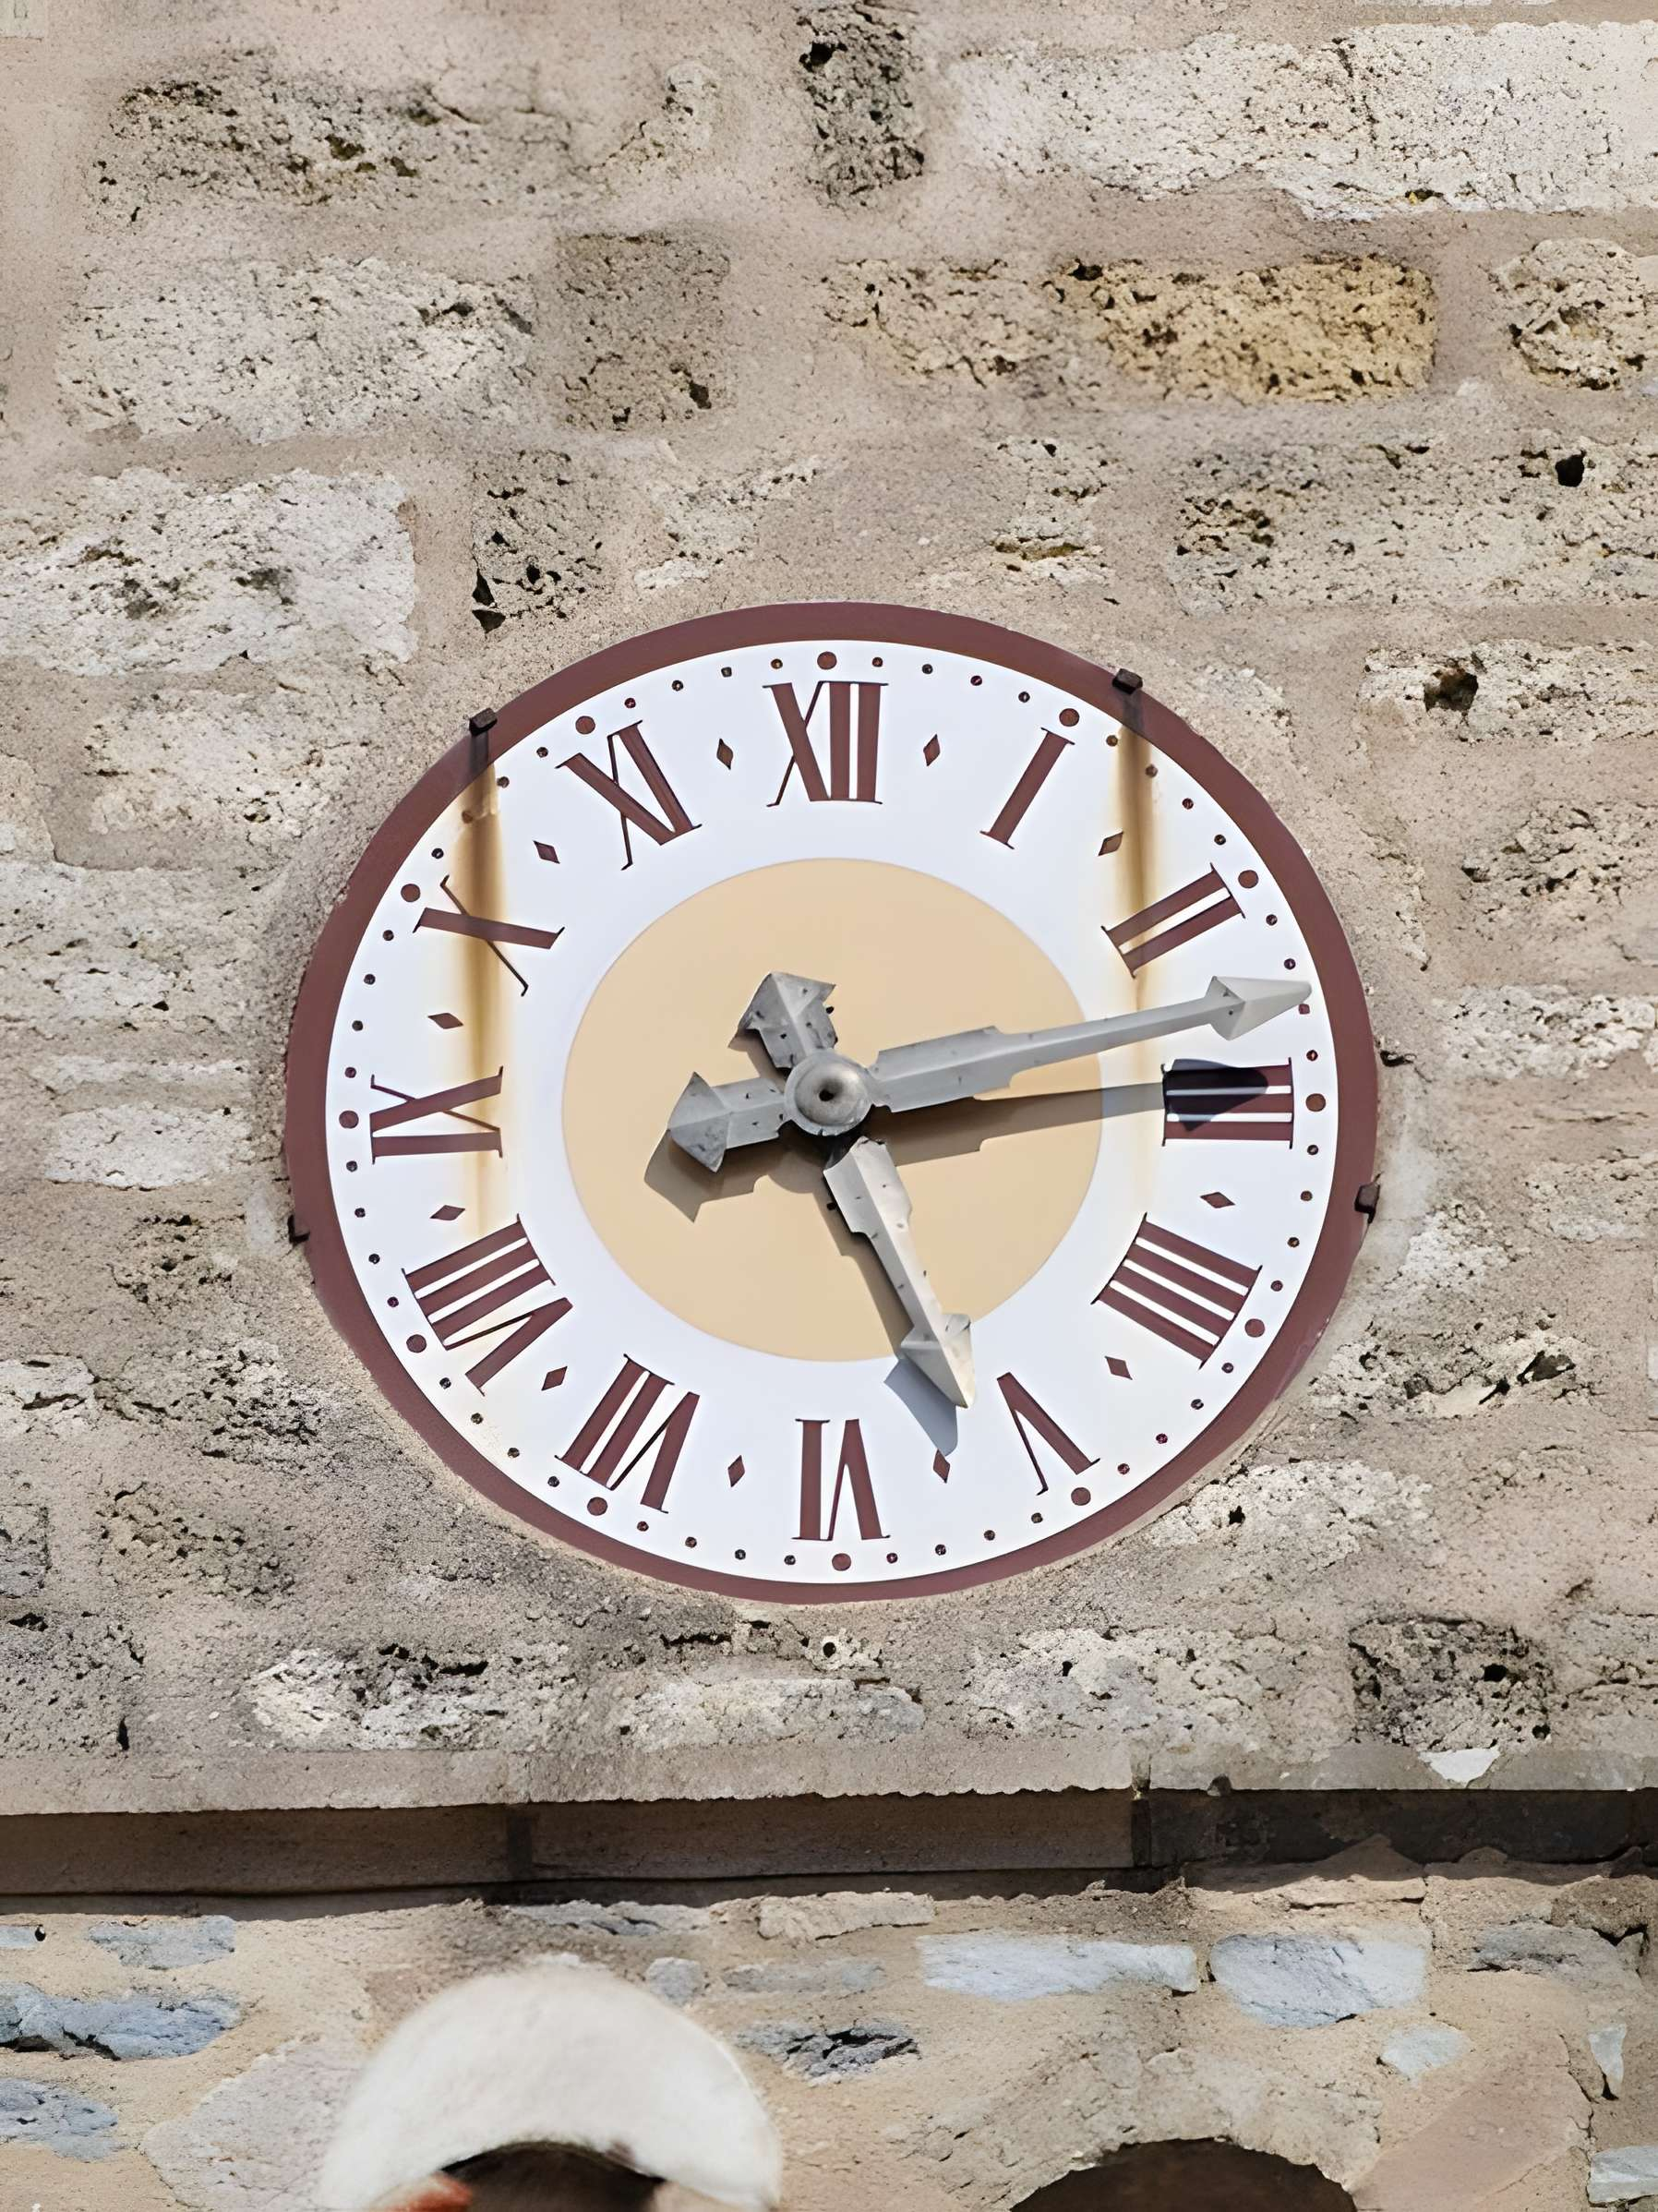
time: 5:14
